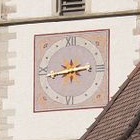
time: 2:43
